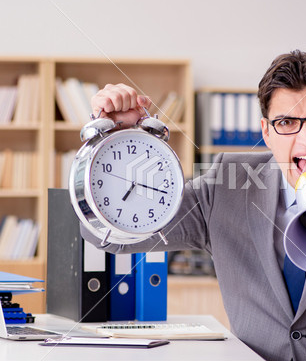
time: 7:17
